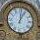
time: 12:04
